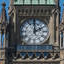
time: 2:00
